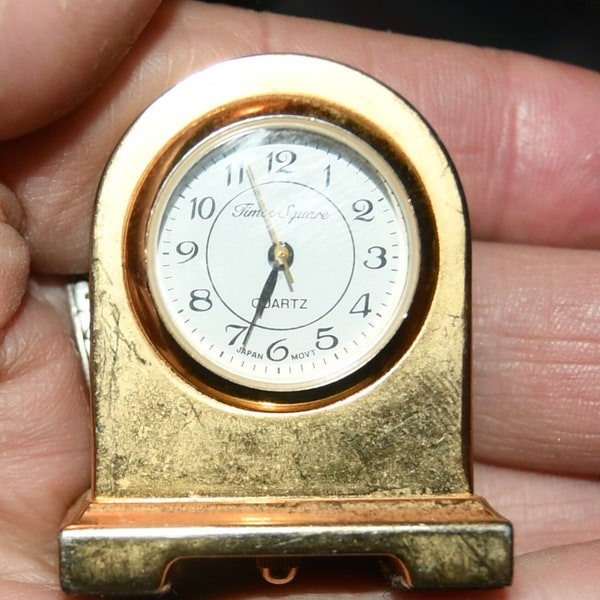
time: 6:33
